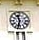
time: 11:32
